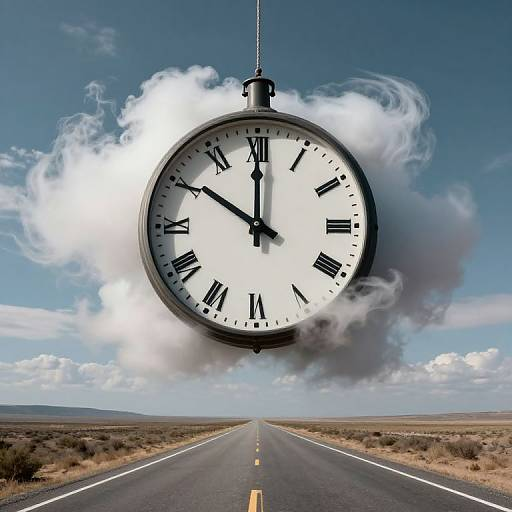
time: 9:59
